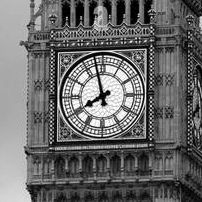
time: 7:57
